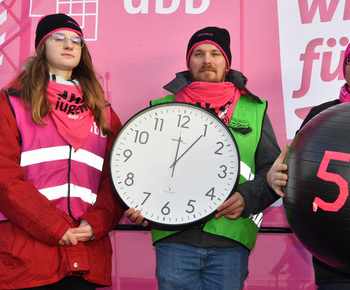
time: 12:05
